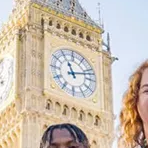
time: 11:12
